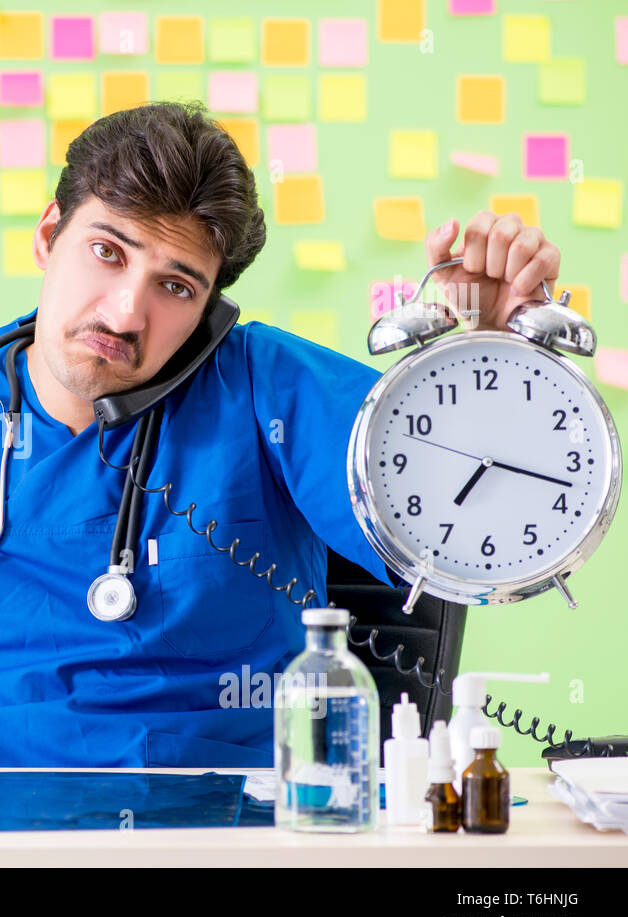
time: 7:17
